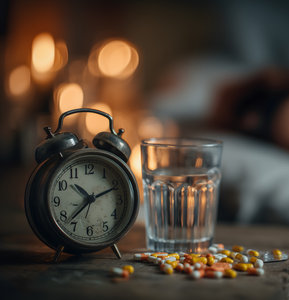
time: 10:37
